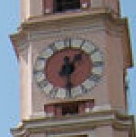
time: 1:30
